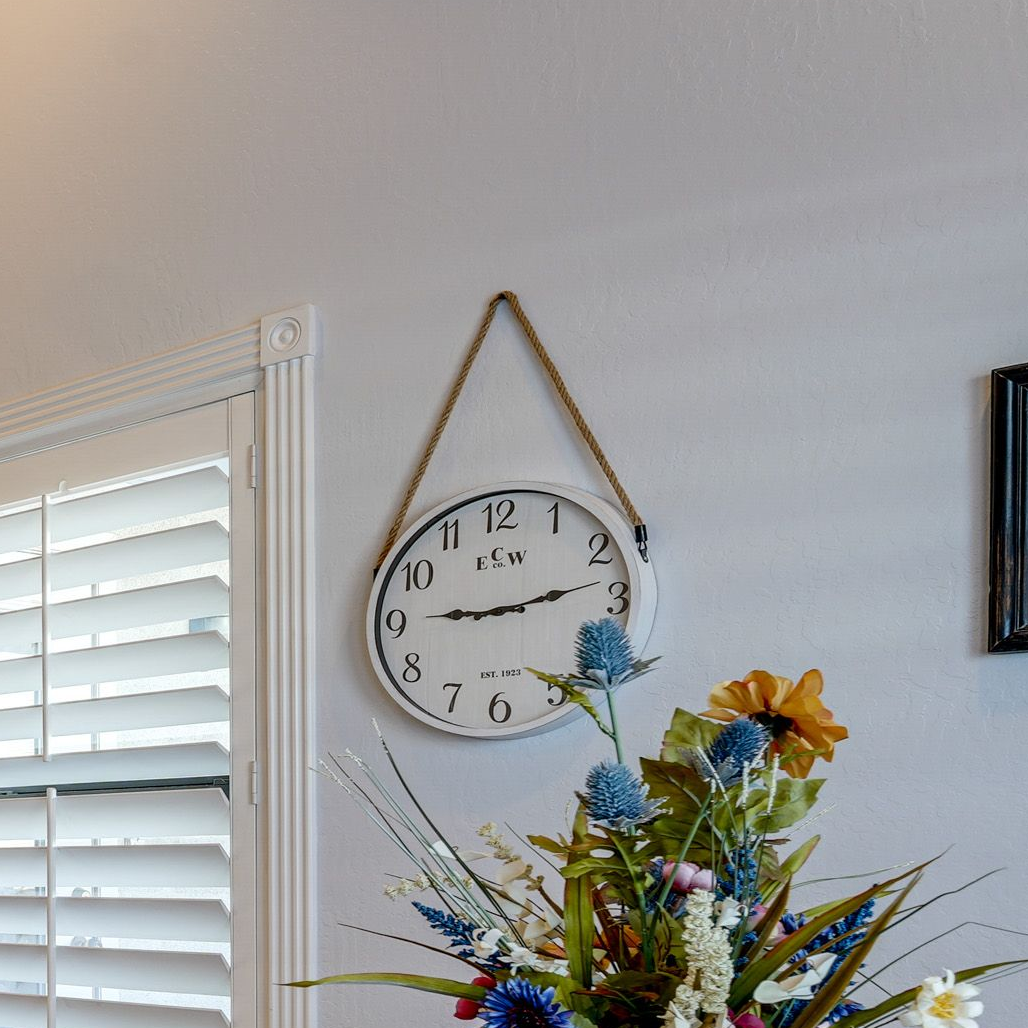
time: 9:12
